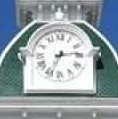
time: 2:34
